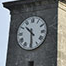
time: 10:29
